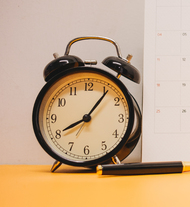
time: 8:06
